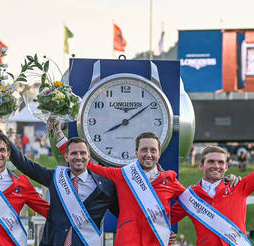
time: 8:09
